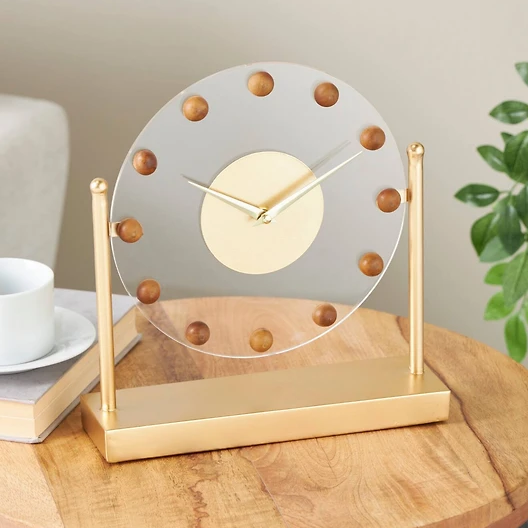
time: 10:10
